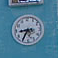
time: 8:35
